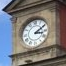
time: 3:10
